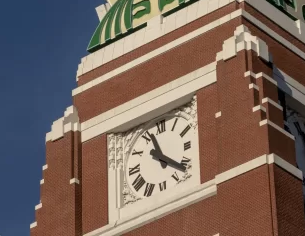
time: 11:21
